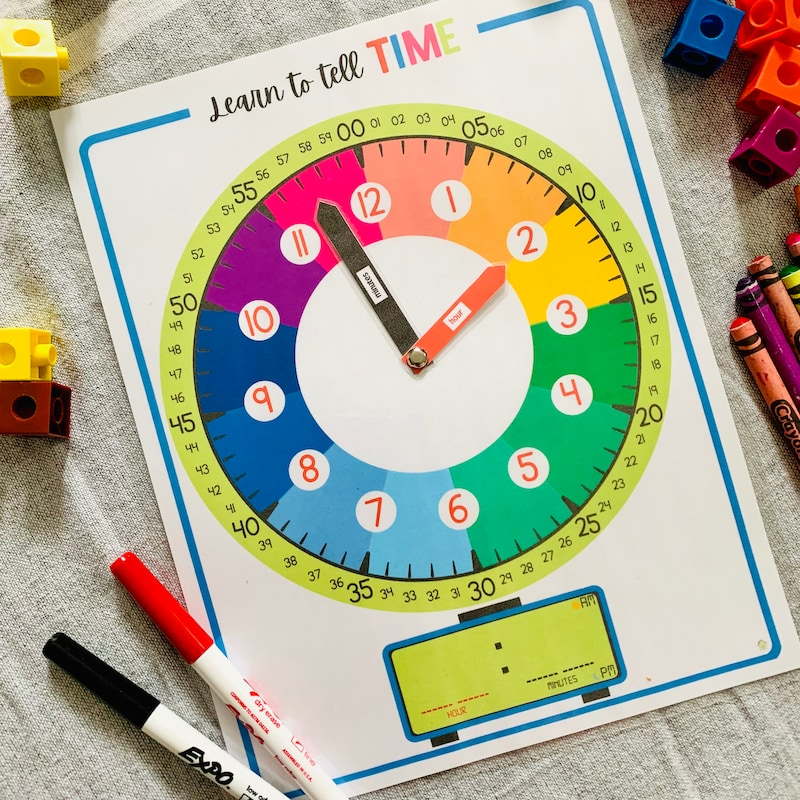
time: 1:57
